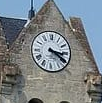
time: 3:20
